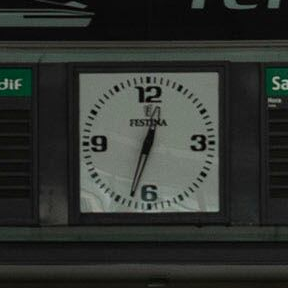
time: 12:32
